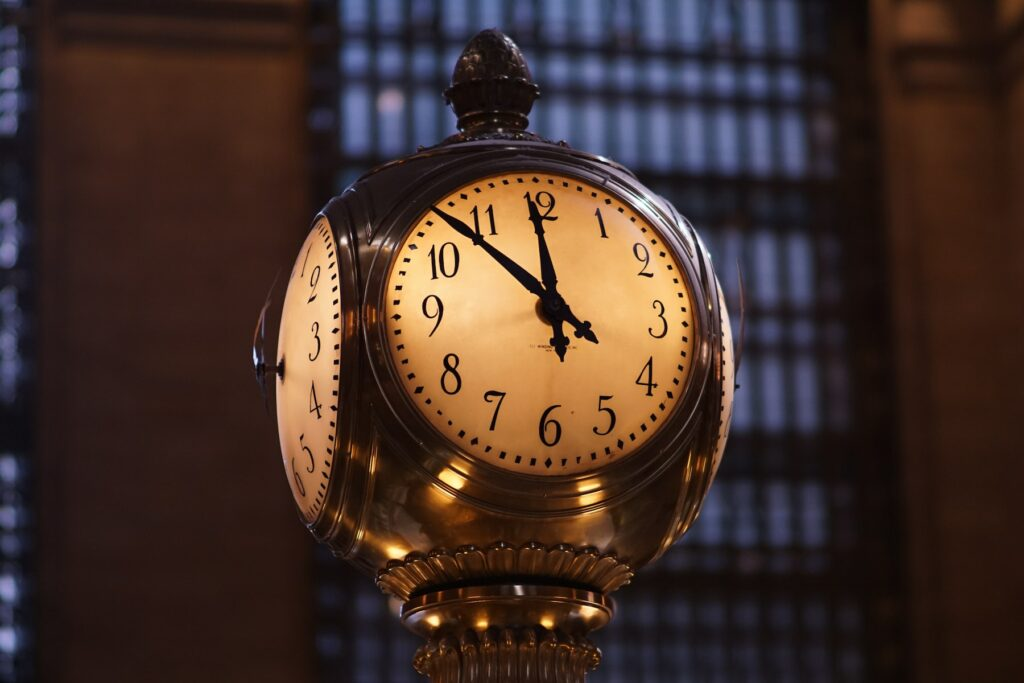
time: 11:52
